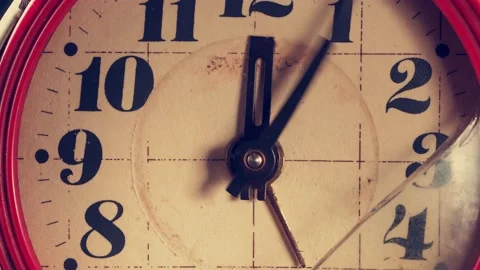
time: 12:04
